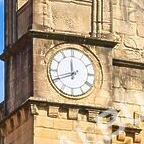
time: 11:41
